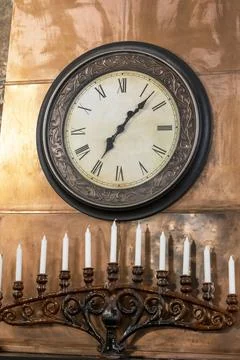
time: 7:07
